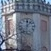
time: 12:07
